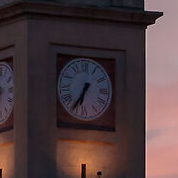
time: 6:35
